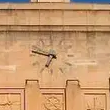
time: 6:47
